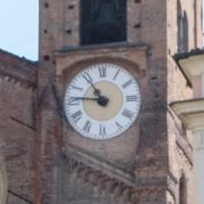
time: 10:46
